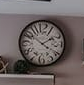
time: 1:50
